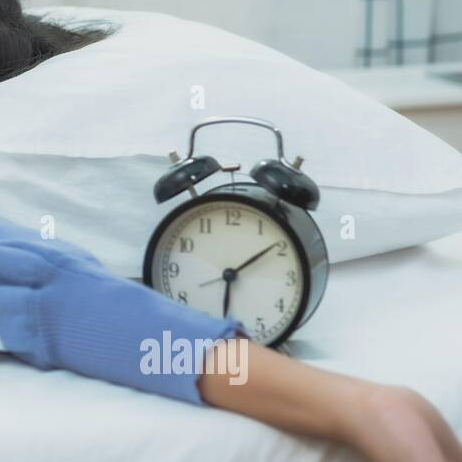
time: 6:09
